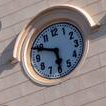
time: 5:49
